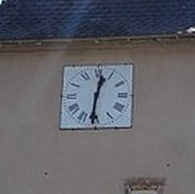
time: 12:31
